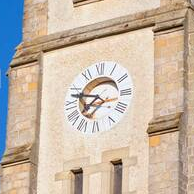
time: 7:47
